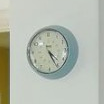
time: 4:25
